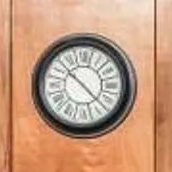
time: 10:22
